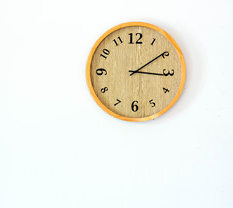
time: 3:09
